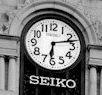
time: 6:12
